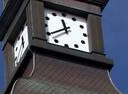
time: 11:39
